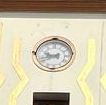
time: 9:42
